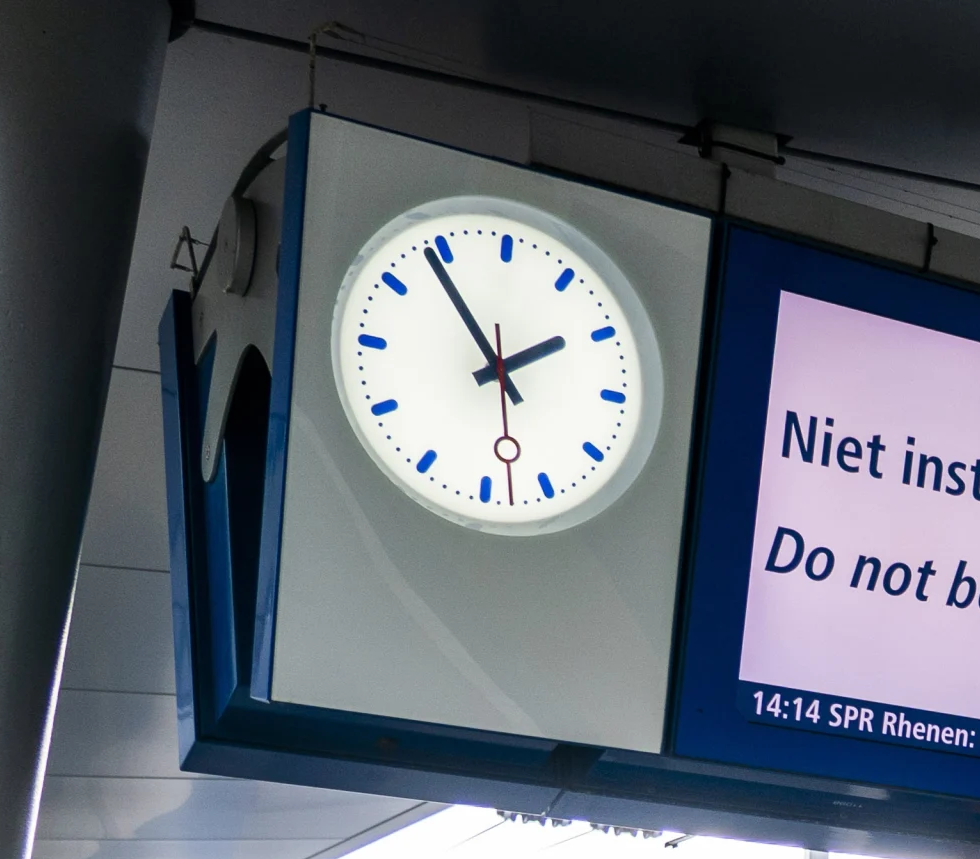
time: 1:53
